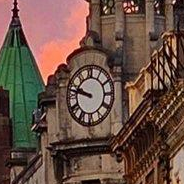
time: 9:47
